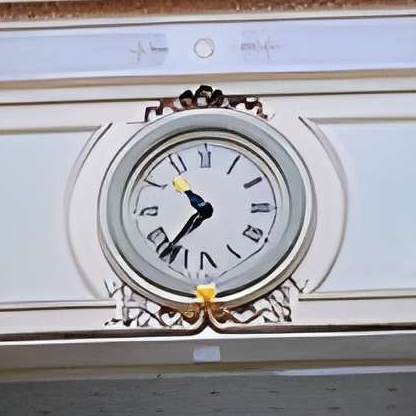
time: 10:36
